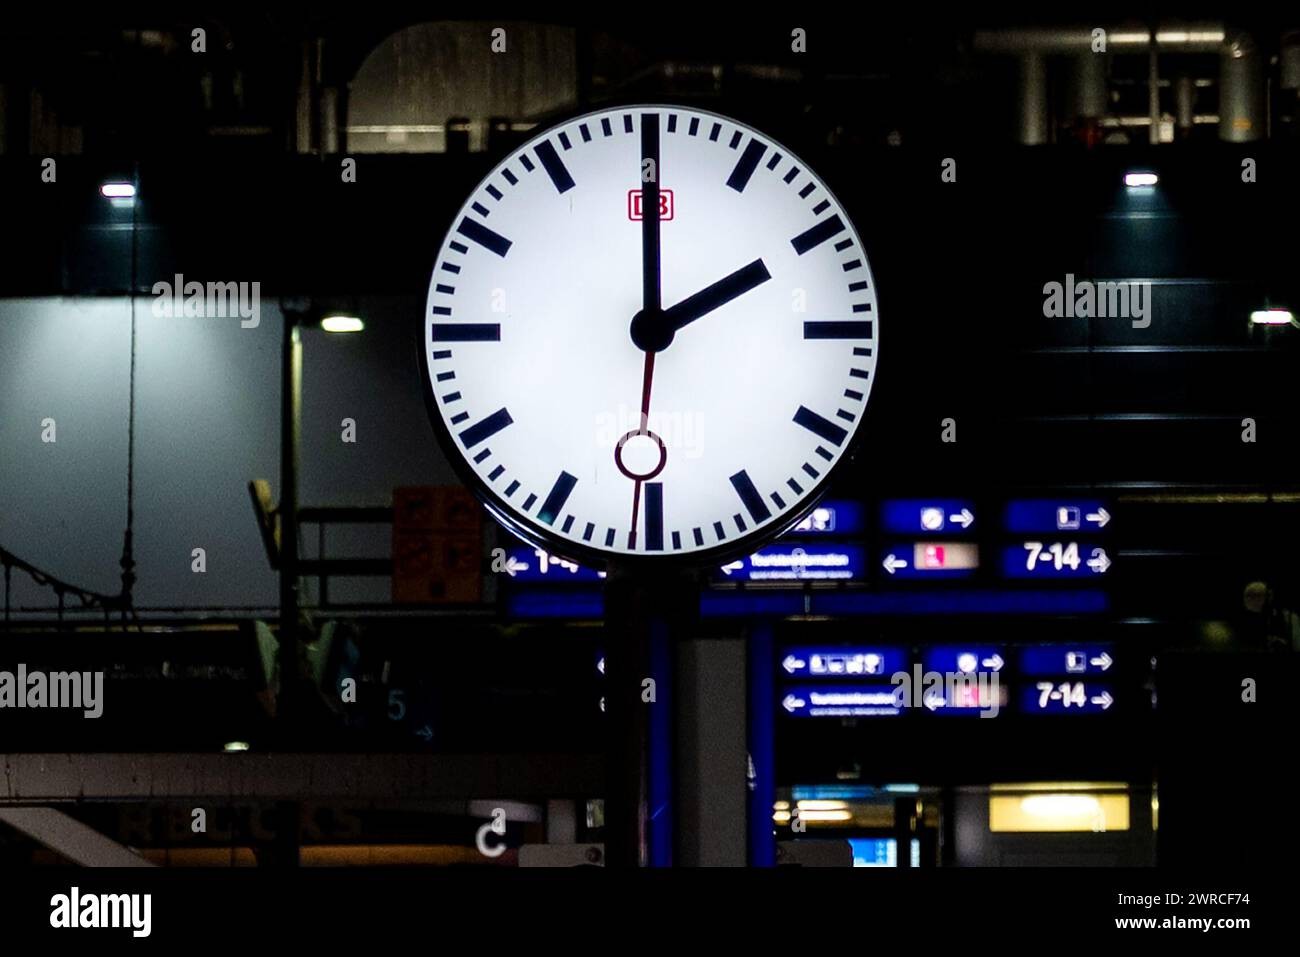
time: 2:00
